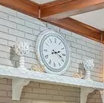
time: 2:18
